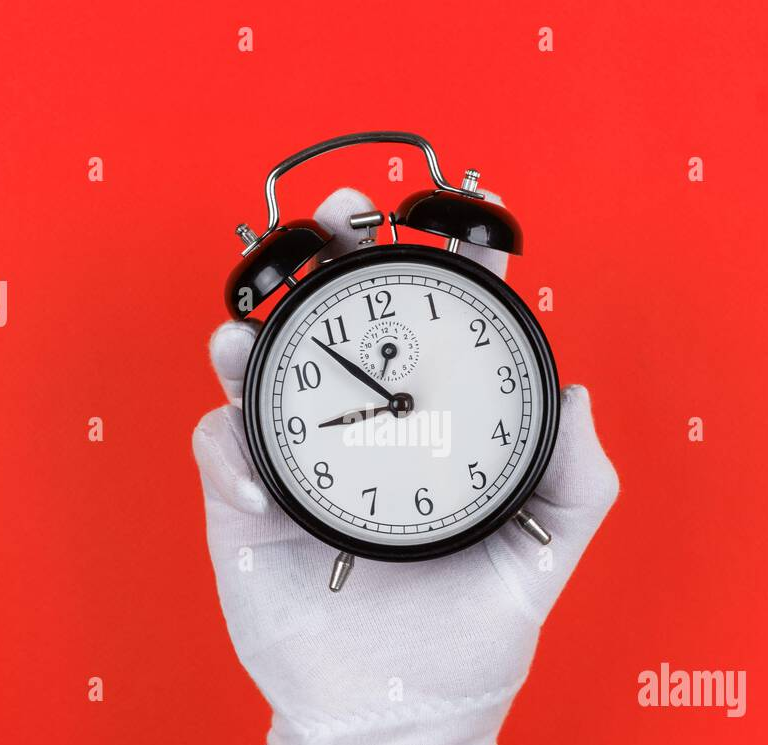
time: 8:53
